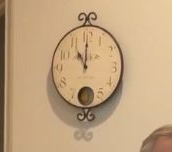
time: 11:00
